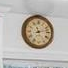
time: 11:12
